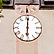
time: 6:00
